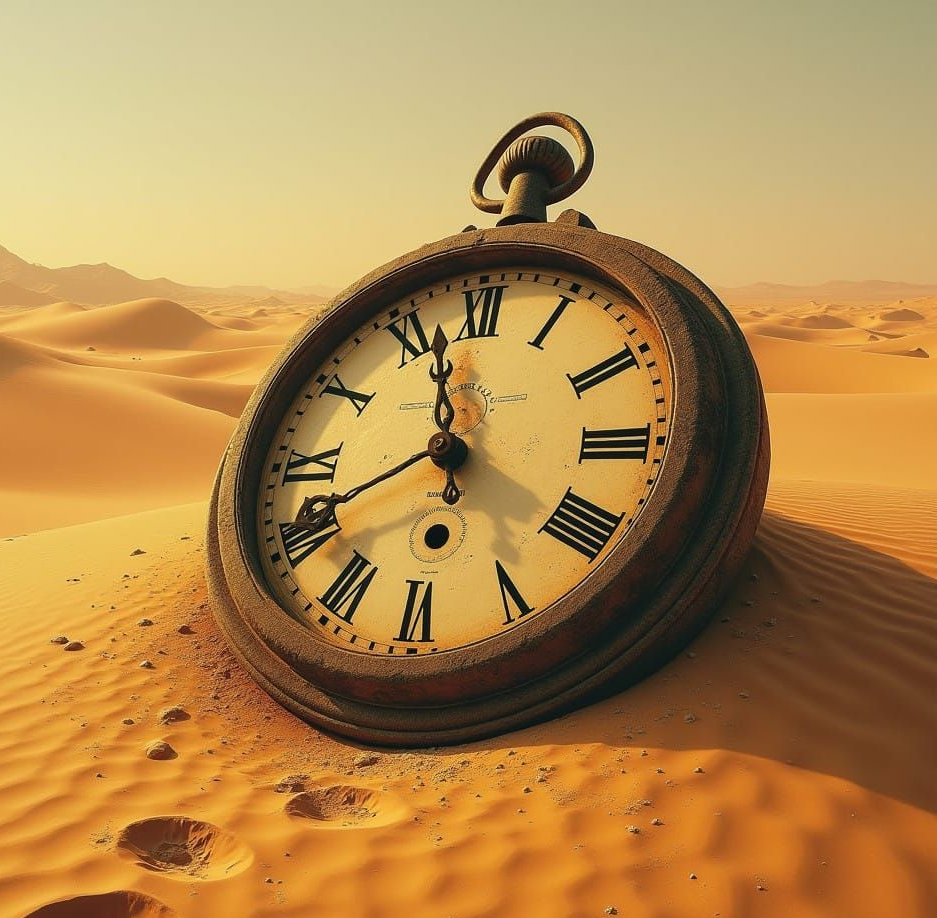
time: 5:57
